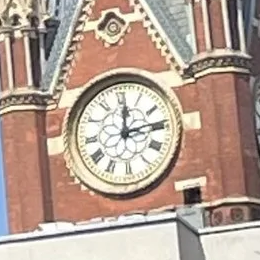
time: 12:13
